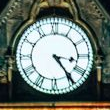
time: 3:24
